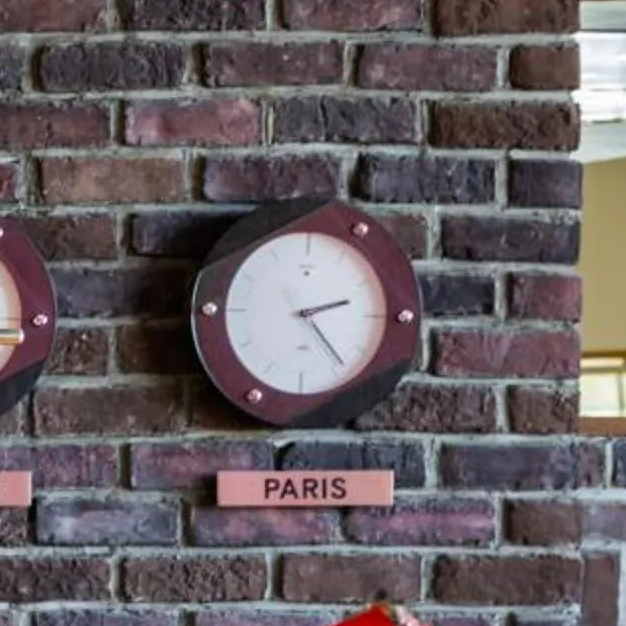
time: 2:23
